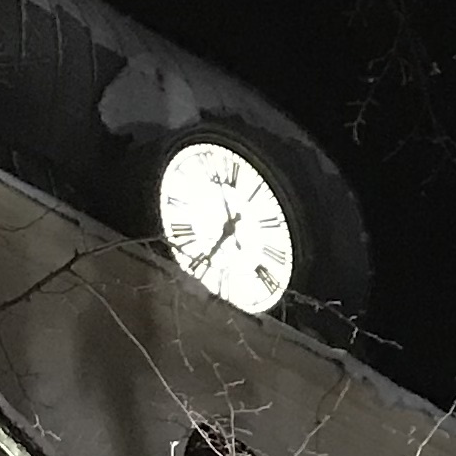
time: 11:34
